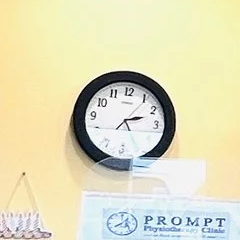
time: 2:25
